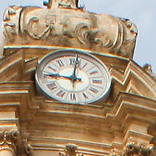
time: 9:01
